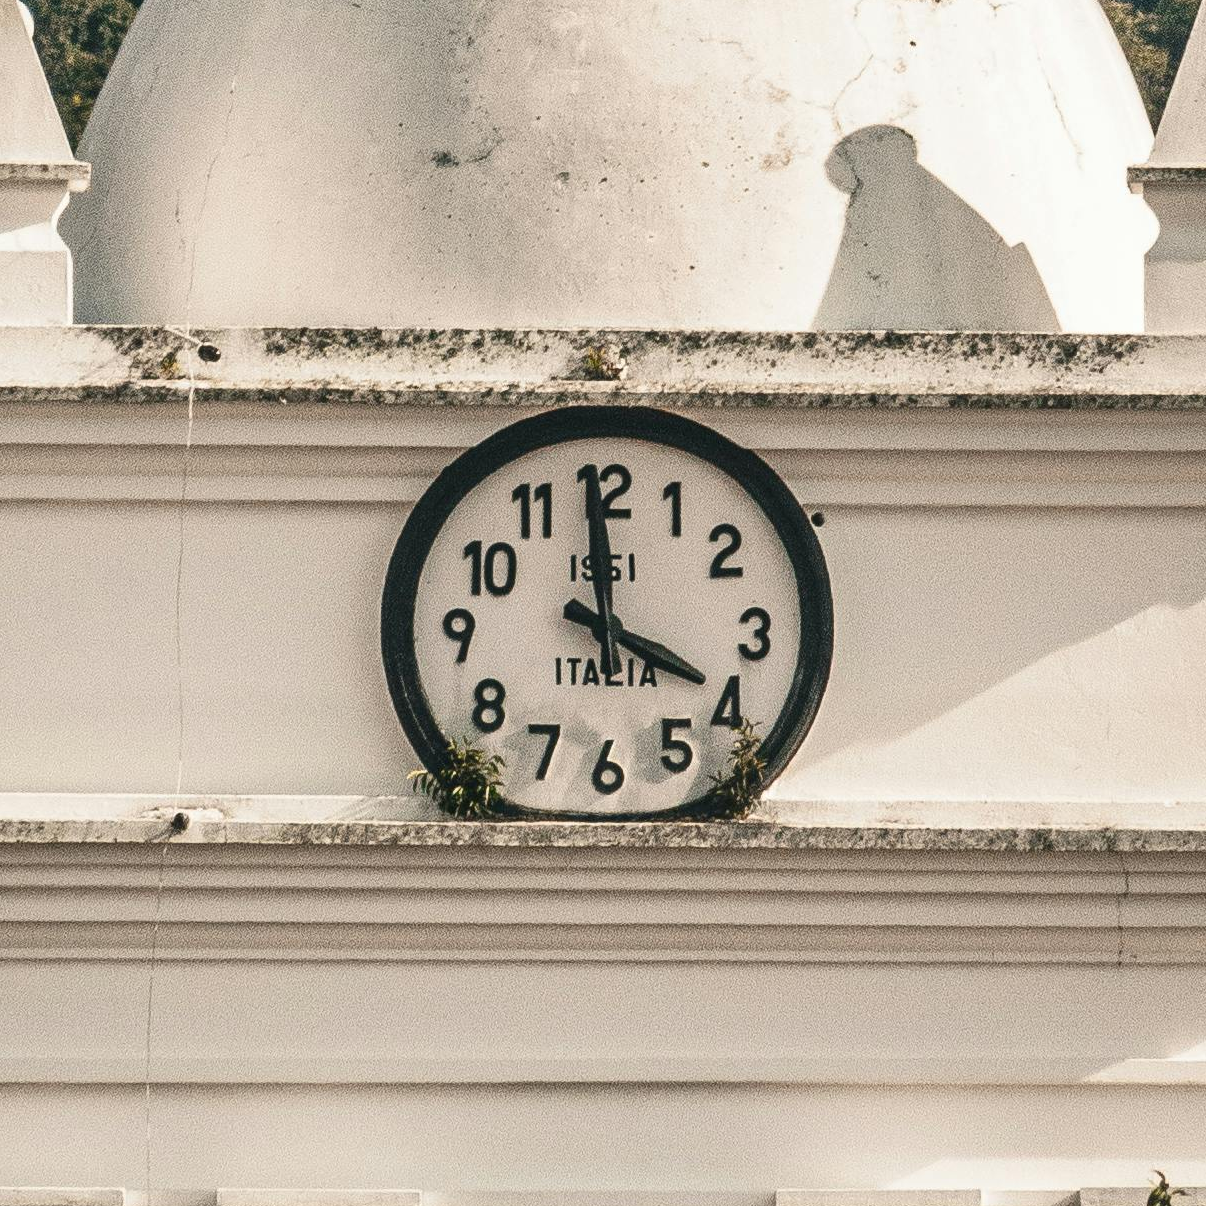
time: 3:59
